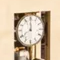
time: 7:59
